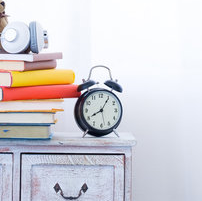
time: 8:05
